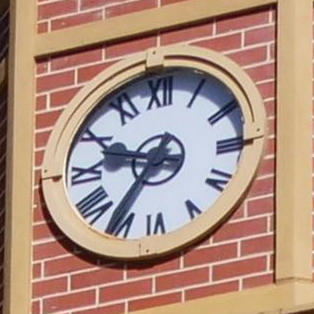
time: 9:35
